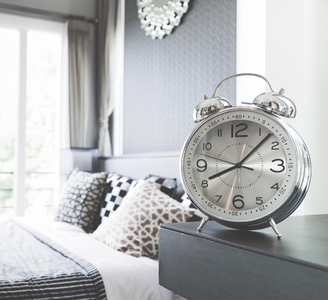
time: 8:07
